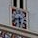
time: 5:42
